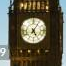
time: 5:05
